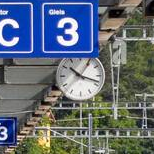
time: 10:18
